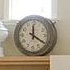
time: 12:20
